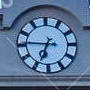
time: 6:45
